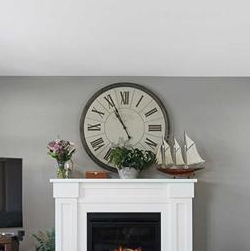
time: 10:55
